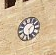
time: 1:28
